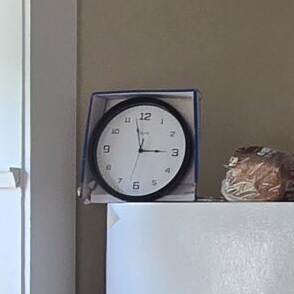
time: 2:57
